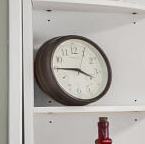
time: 3:45
